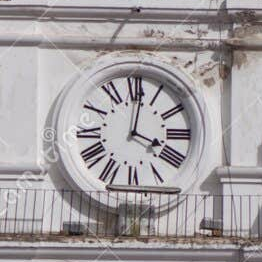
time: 4:01
